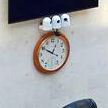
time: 12:49
